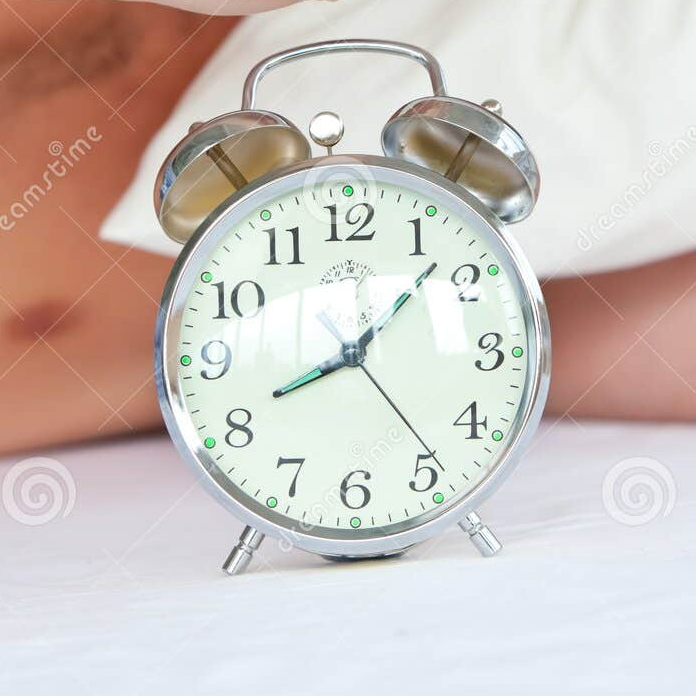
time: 8:07
